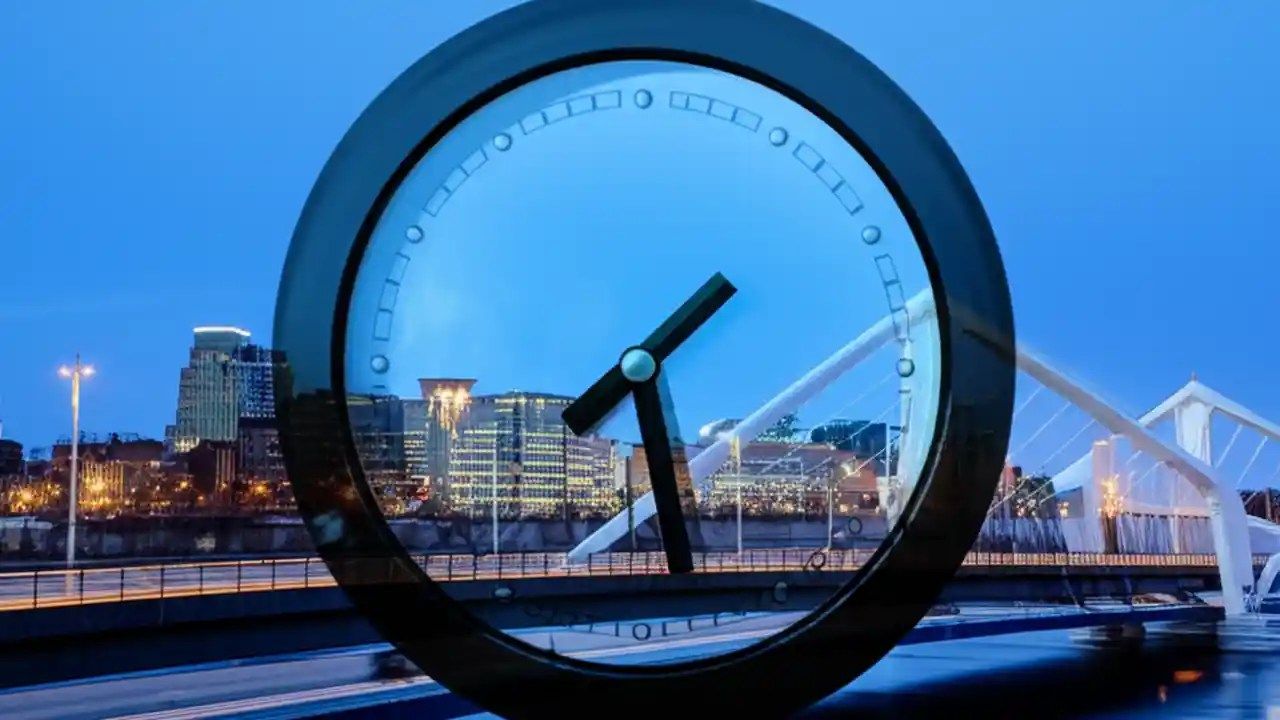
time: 1:28
